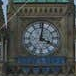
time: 4:01
